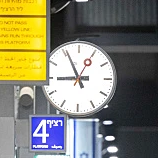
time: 8:55
